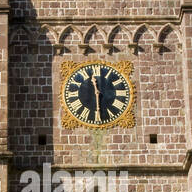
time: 11:29
